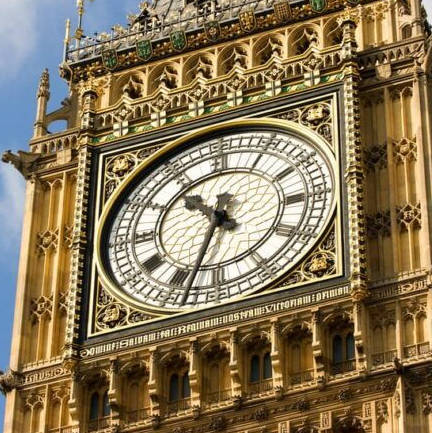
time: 10:33
